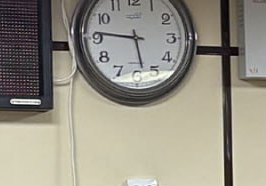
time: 5:46
